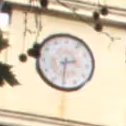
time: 2:30
